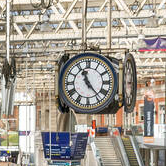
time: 11:23
